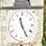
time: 11:25
